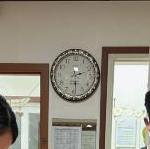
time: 2:29
